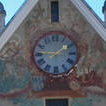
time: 1:46
